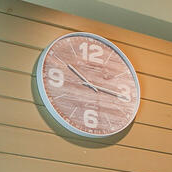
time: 10:16
